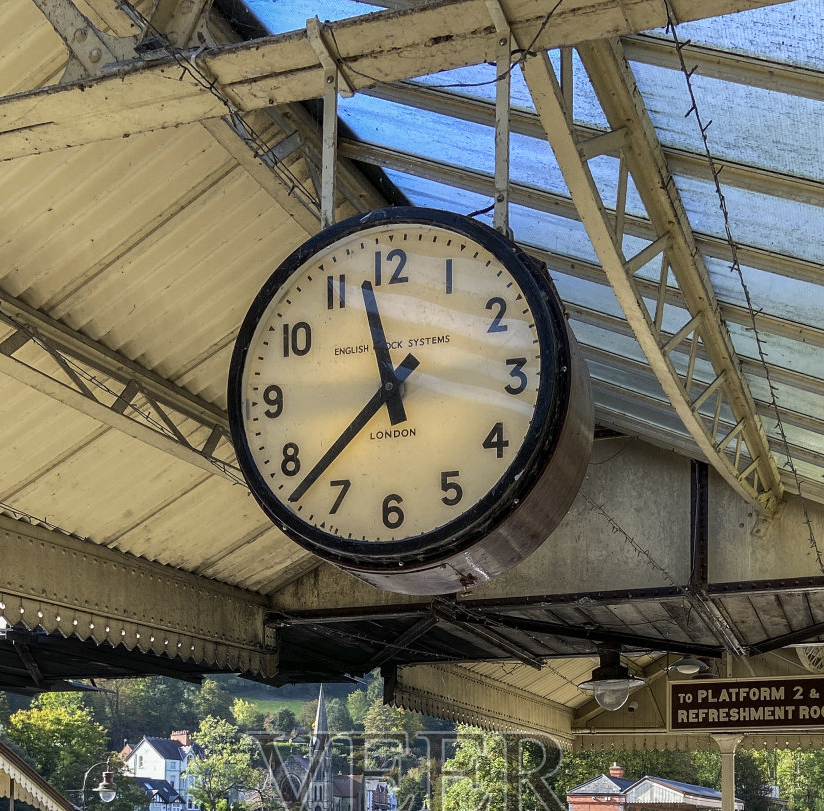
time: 11:37
